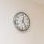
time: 12:23
